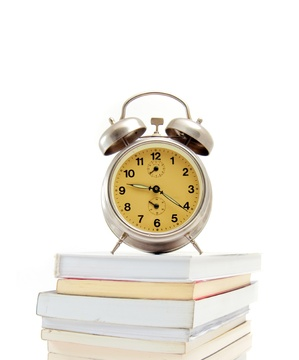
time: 9:20
